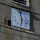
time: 5:57
